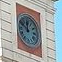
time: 11:49
